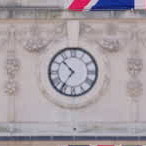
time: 10:35
